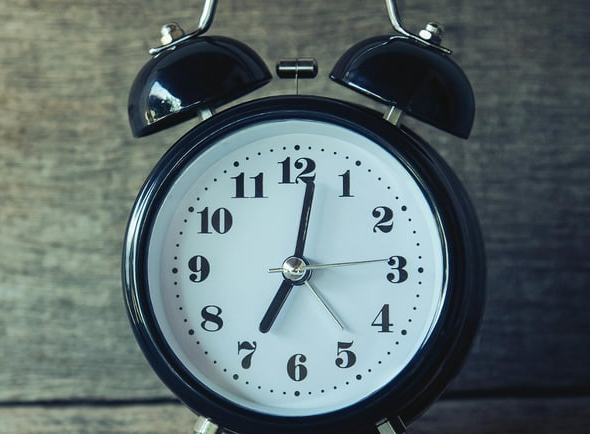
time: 7:01
